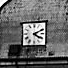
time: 4:10
